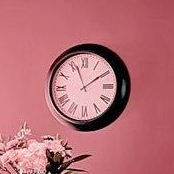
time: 1:56
